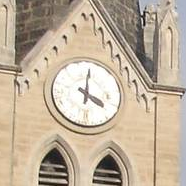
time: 4:02
